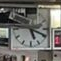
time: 5:18
